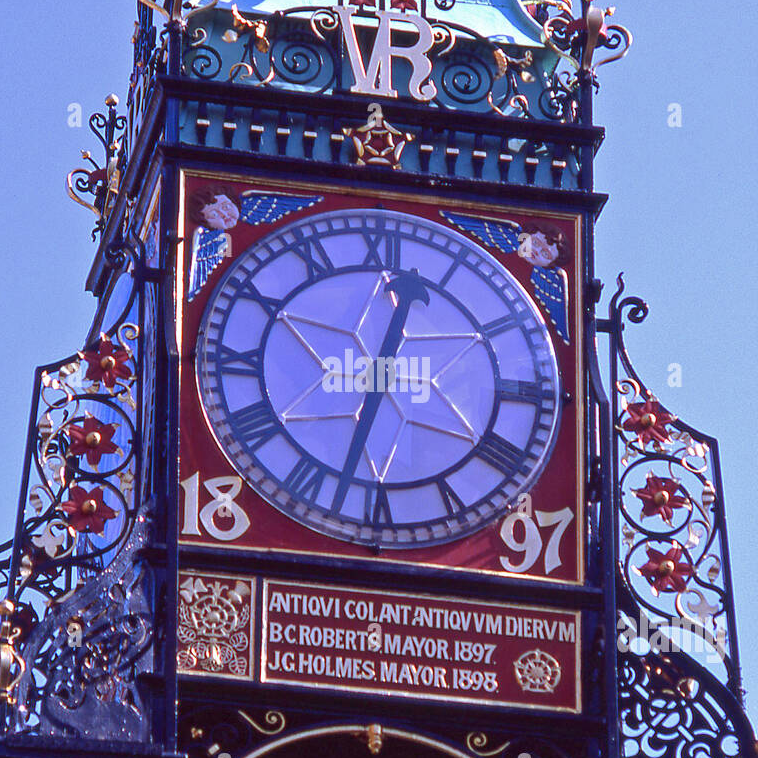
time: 12:32
